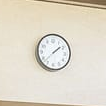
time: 1:37
